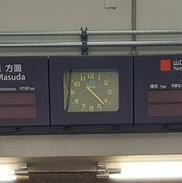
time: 4:22
